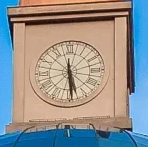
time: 5:29
